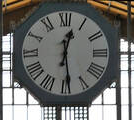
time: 12:28
